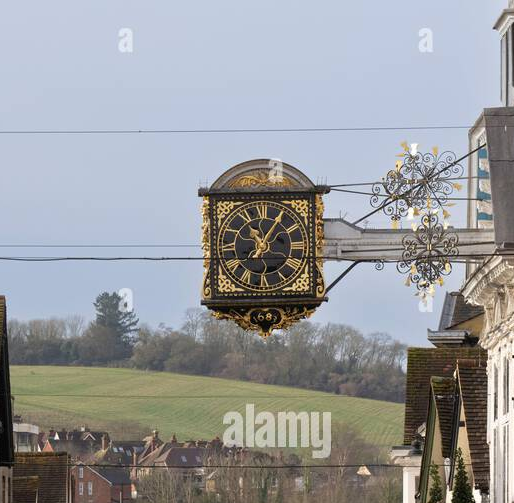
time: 11:05
